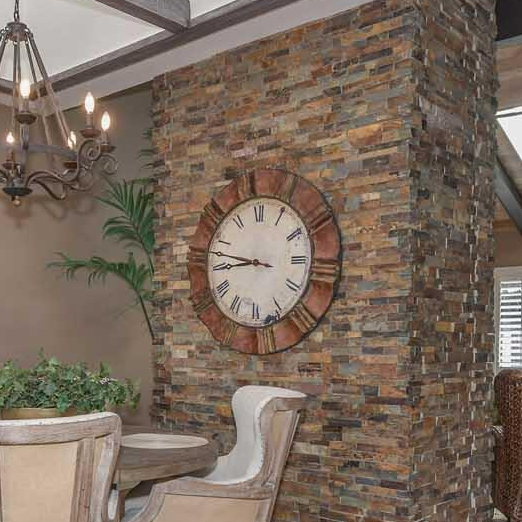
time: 8:47
